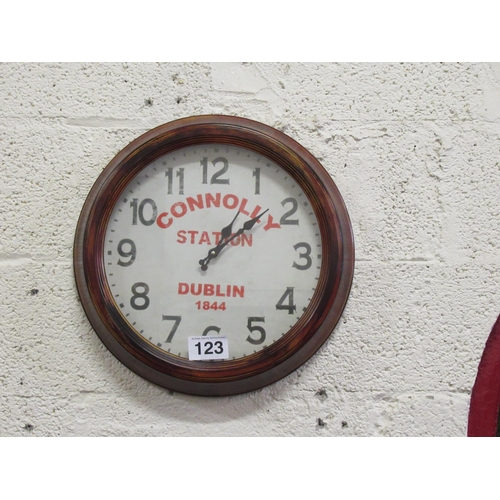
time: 1:08
